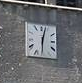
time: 12:30
